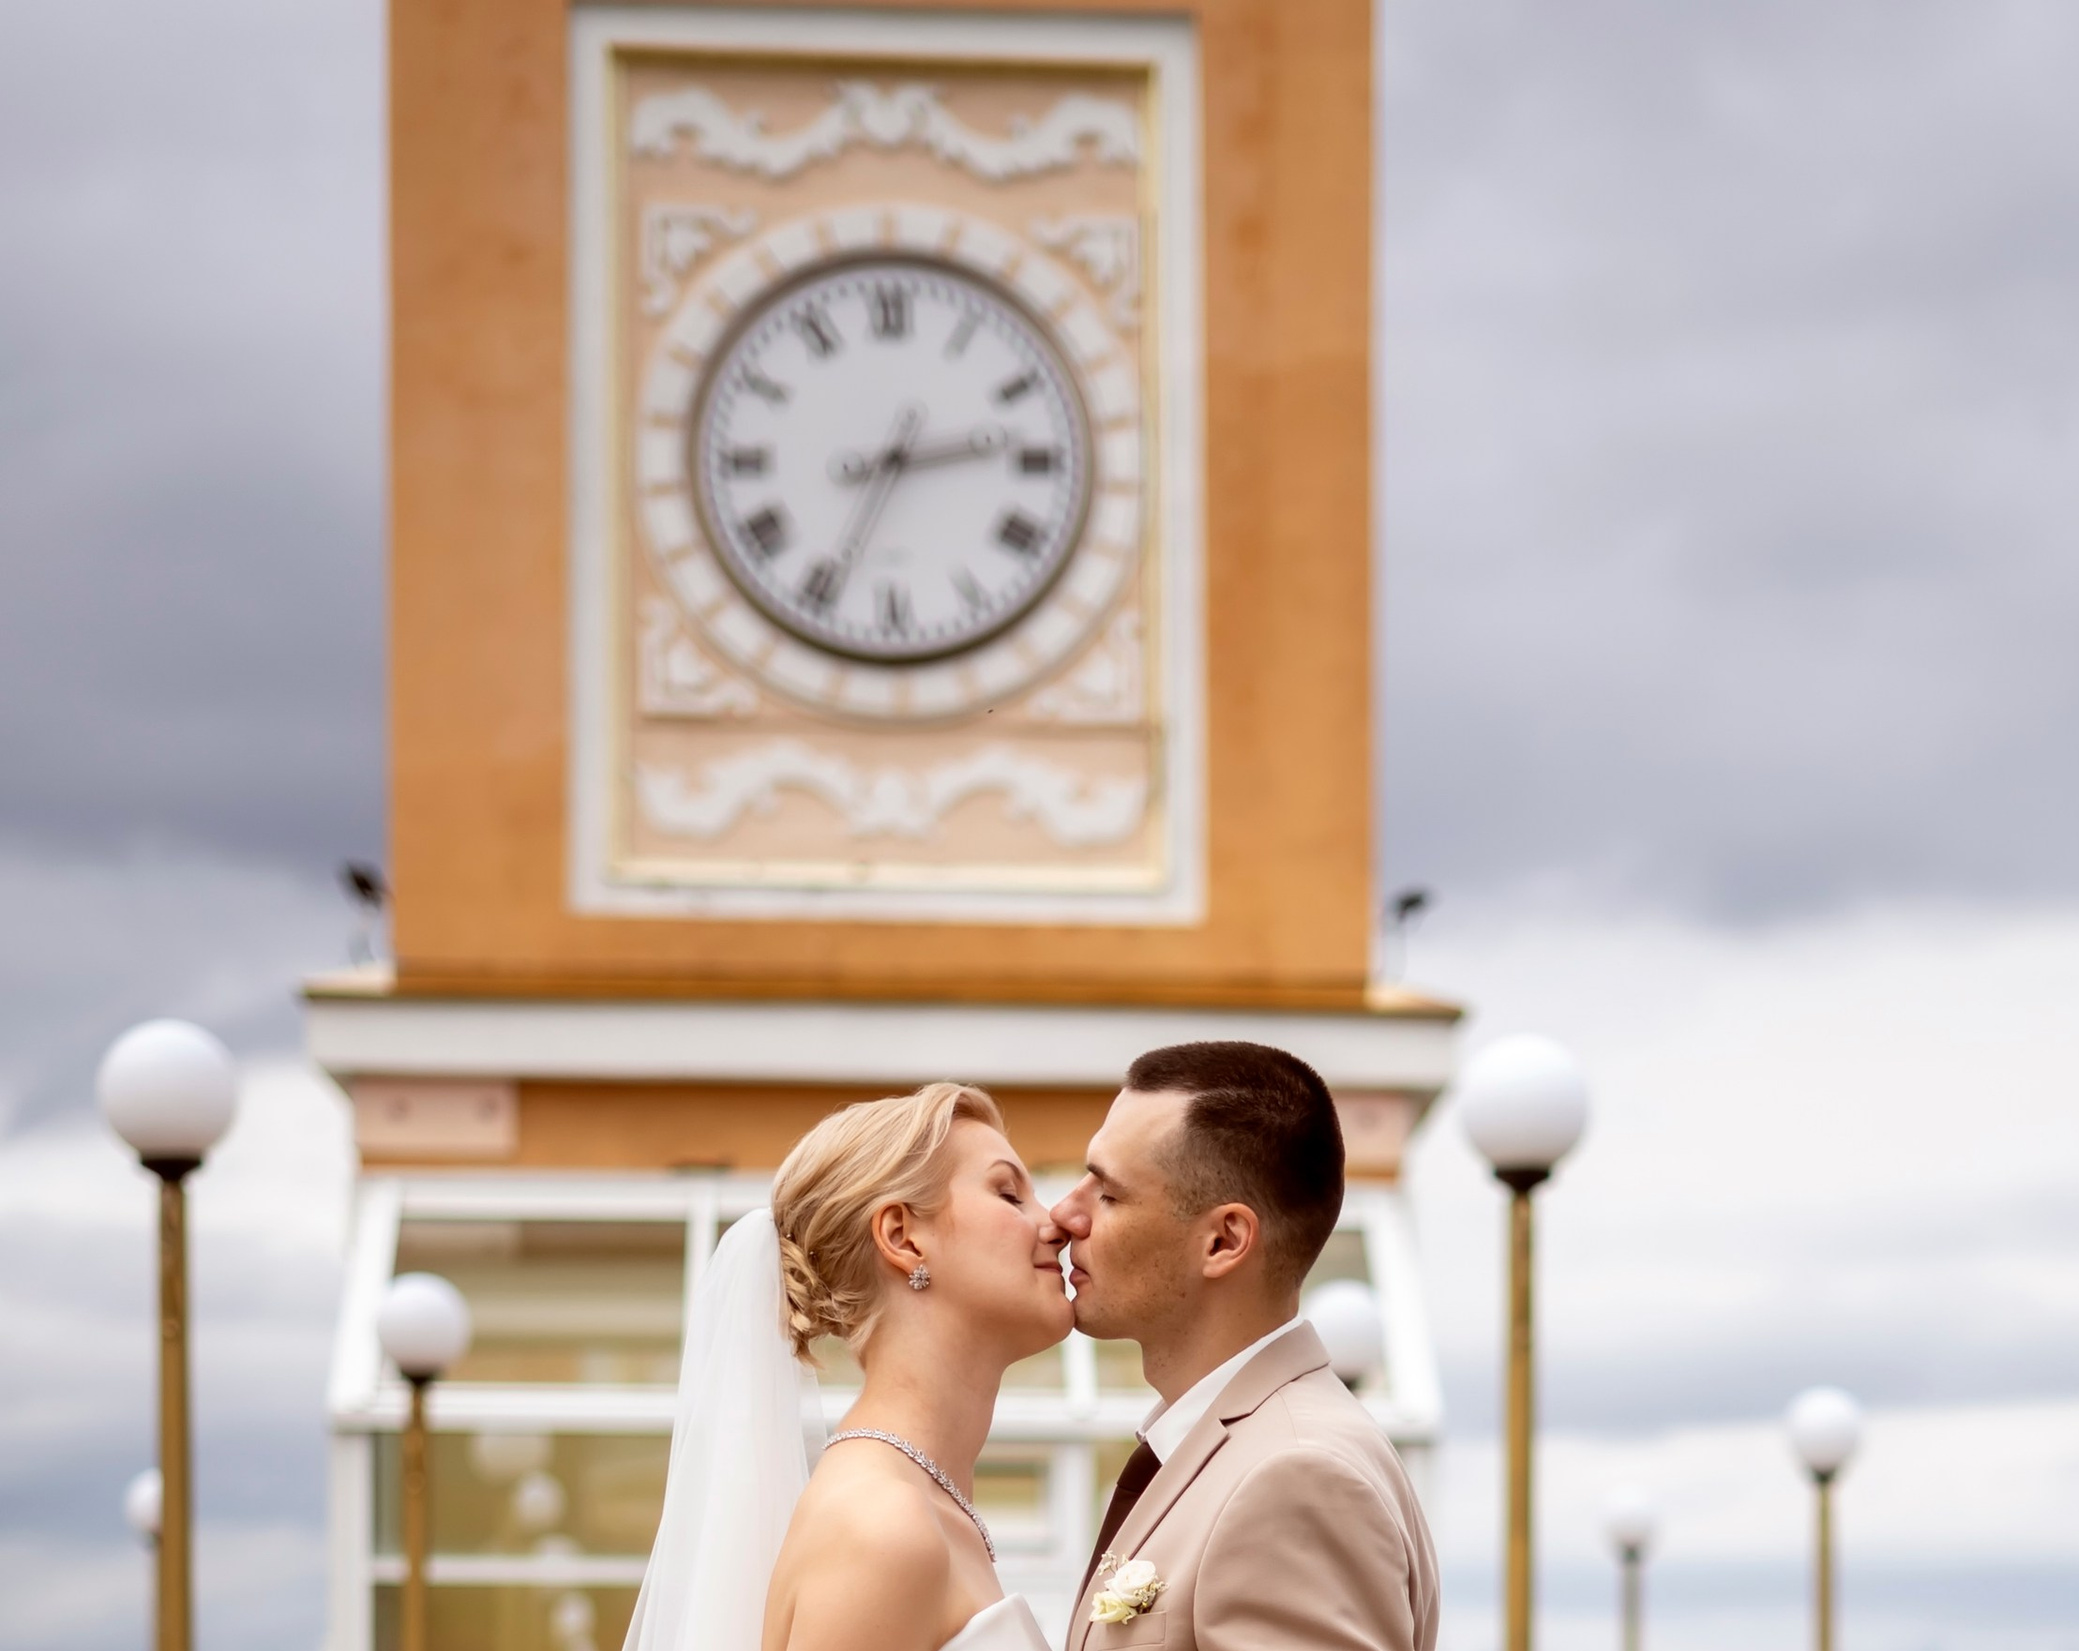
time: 2:34
